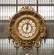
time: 12:02
